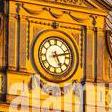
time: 5:12
